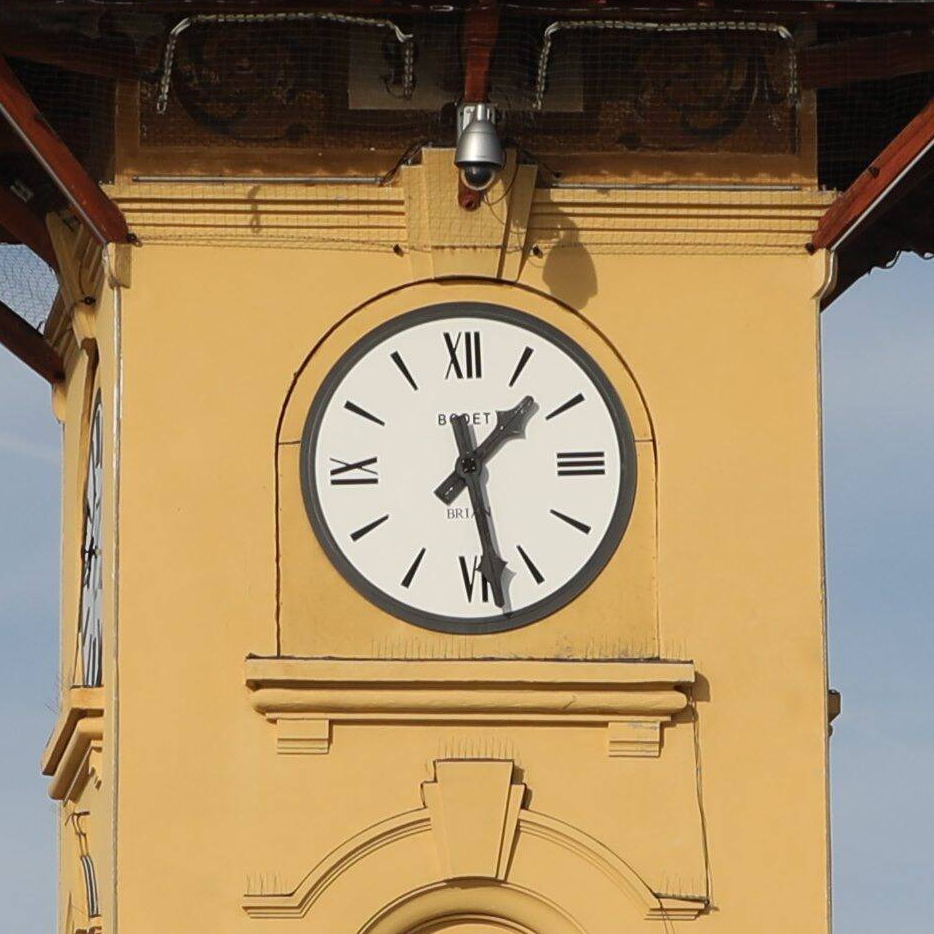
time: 1:28
